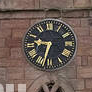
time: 9:33
